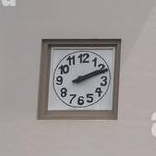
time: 2:11
